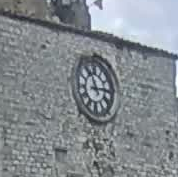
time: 11:14
